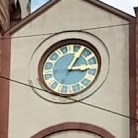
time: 3:04
